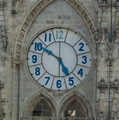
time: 4:50
